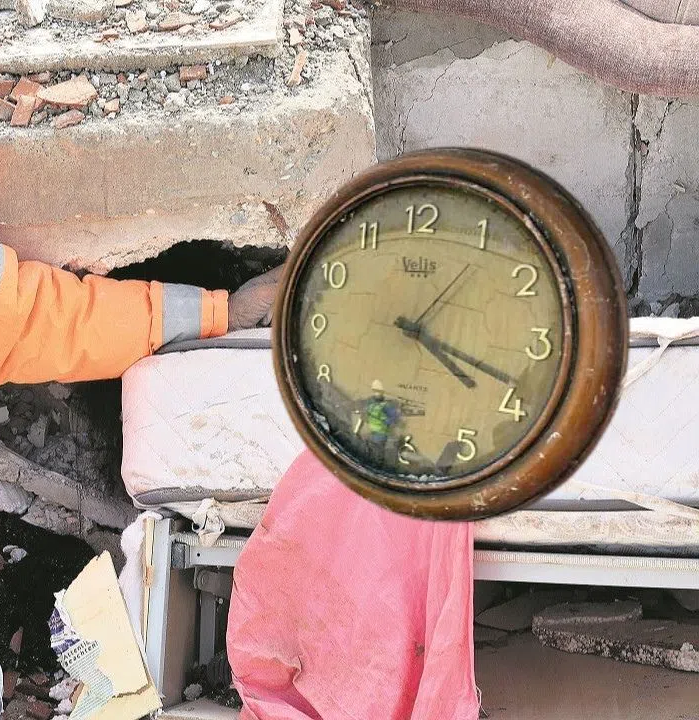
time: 4:18
